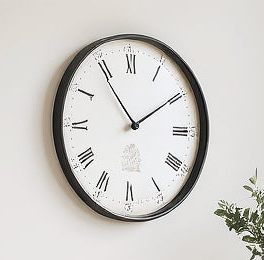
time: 1:54
